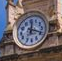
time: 12:18
